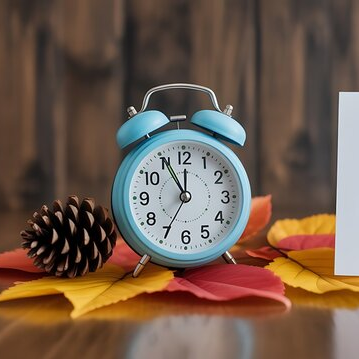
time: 11:55
